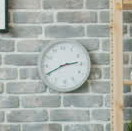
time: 2:40
